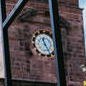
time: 11:24
